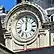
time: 12:01
